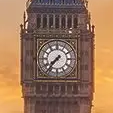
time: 7:36
